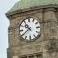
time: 10:39
